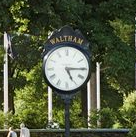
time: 5:15
